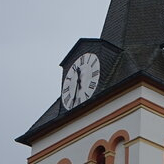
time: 11:32
